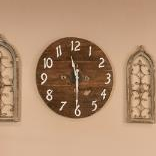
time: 11:30
